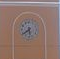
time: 5:38
